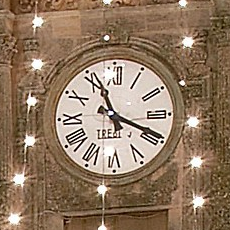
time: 11:18
